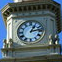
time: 1:13
